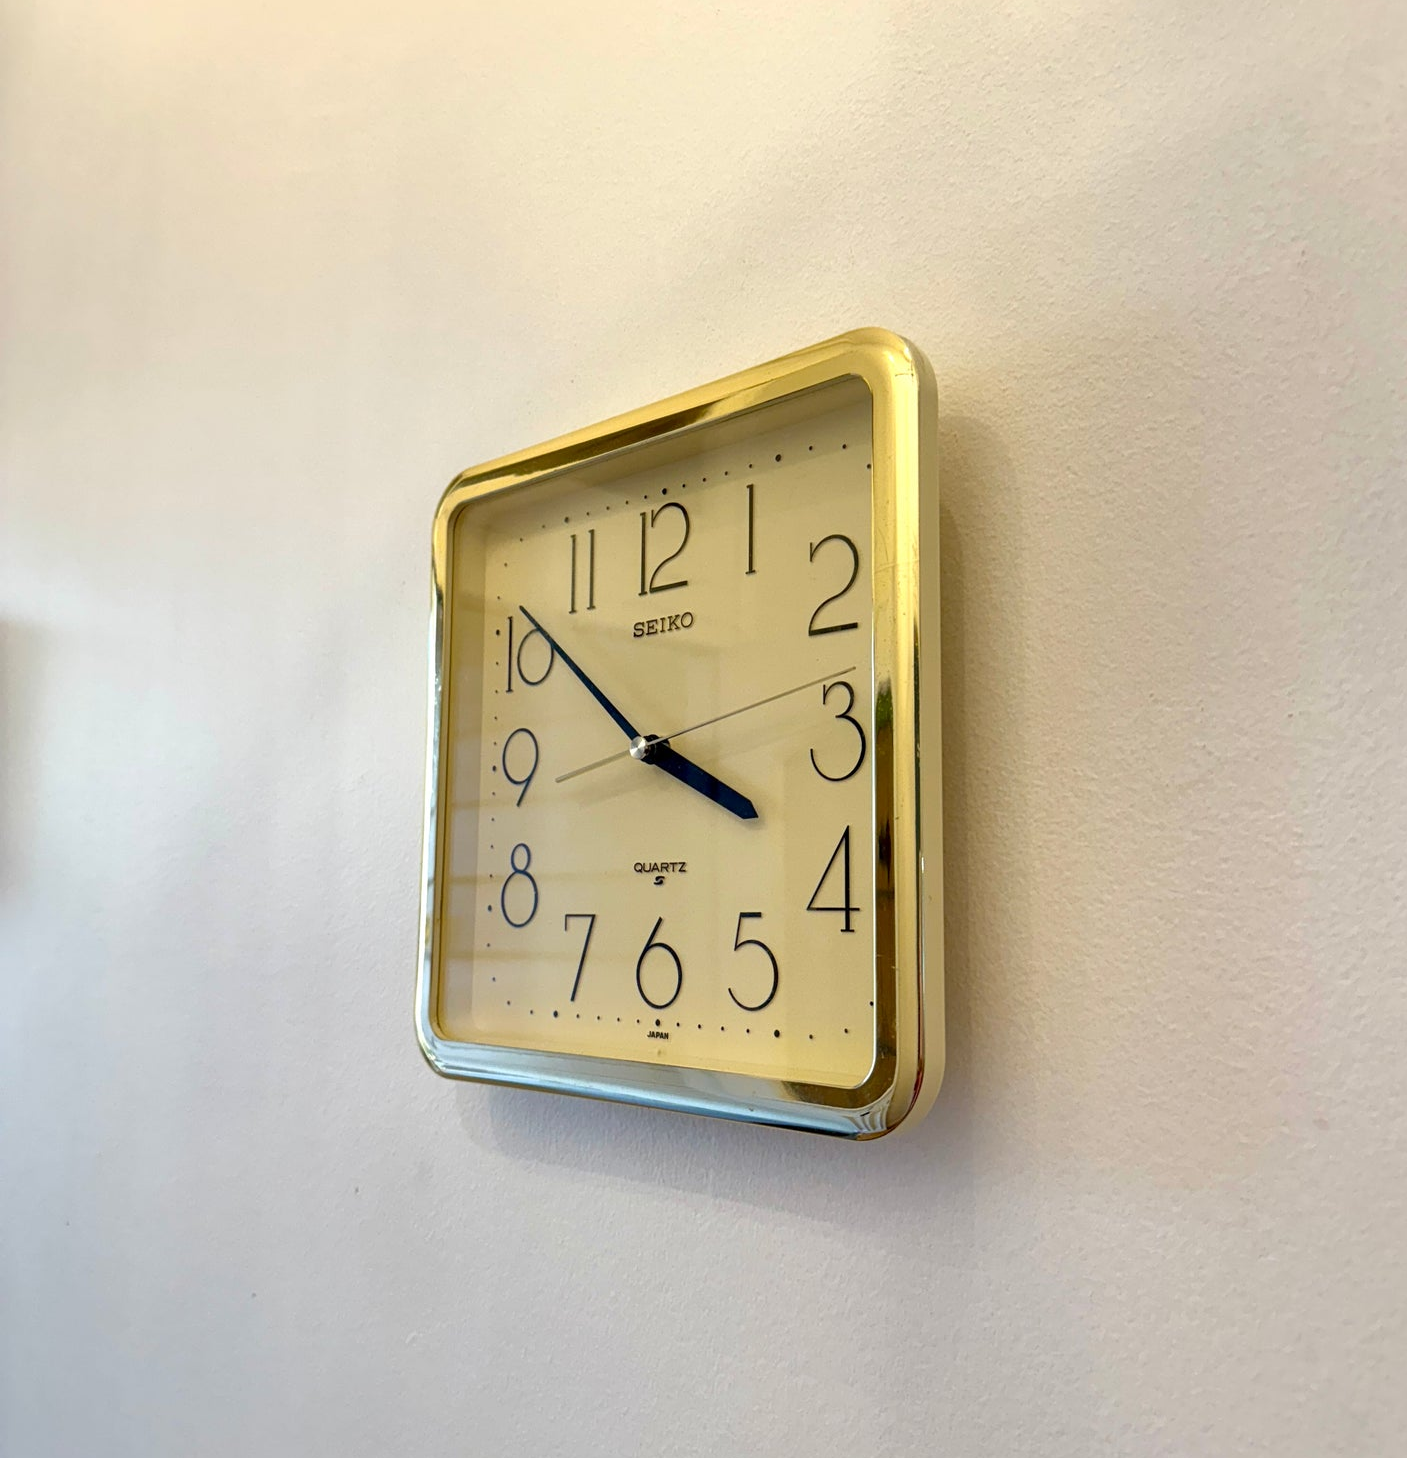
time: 3:51
